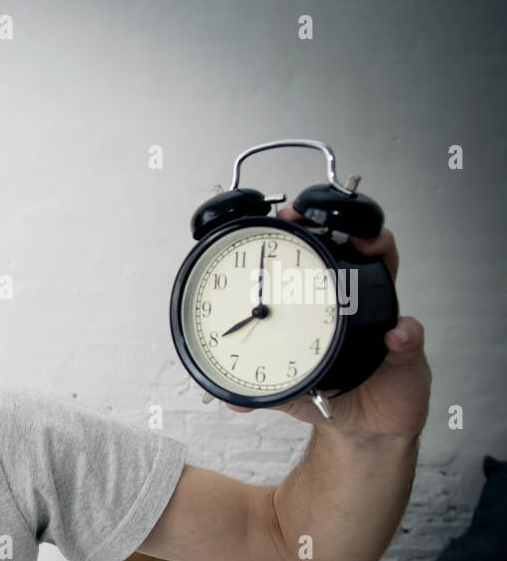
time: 7:59
